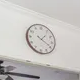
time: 1:19
